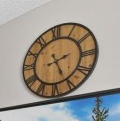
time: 2:25
